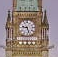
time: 9:27
